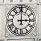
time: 3:00
